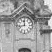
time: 11:42
